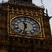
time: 11:32
